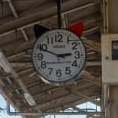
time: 2:48
